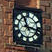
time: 11:17
